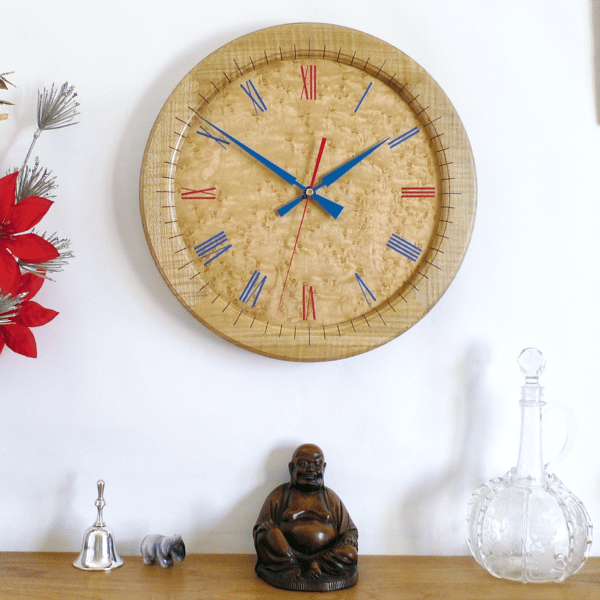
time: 1:50
